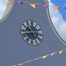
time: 10:42
